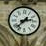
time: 2:37
